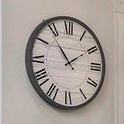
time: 1:53
